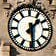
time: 1:29
